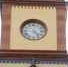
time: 4:23
